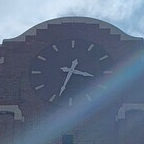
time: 3:33
